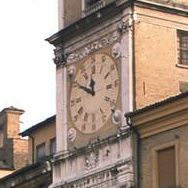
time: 11:50
